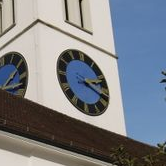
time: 2:18
